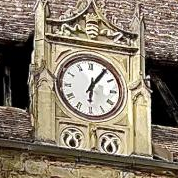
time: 6:05
